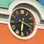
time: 6:18
